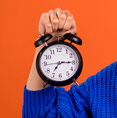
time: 7:15
